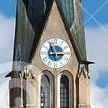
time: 2:56
